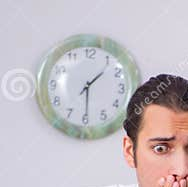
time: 1:29
